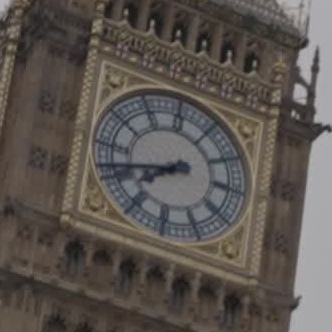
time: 7:41
